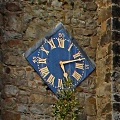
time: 5:12
